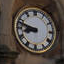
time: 8:47
